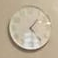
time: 1:23
